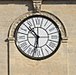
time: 10:32
